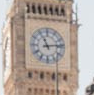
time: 11:13
